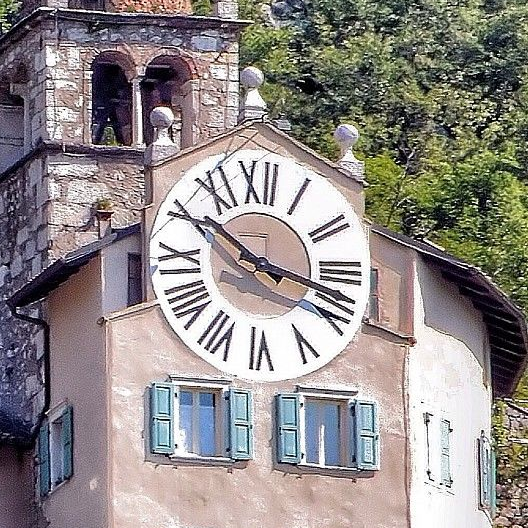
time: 10:17
